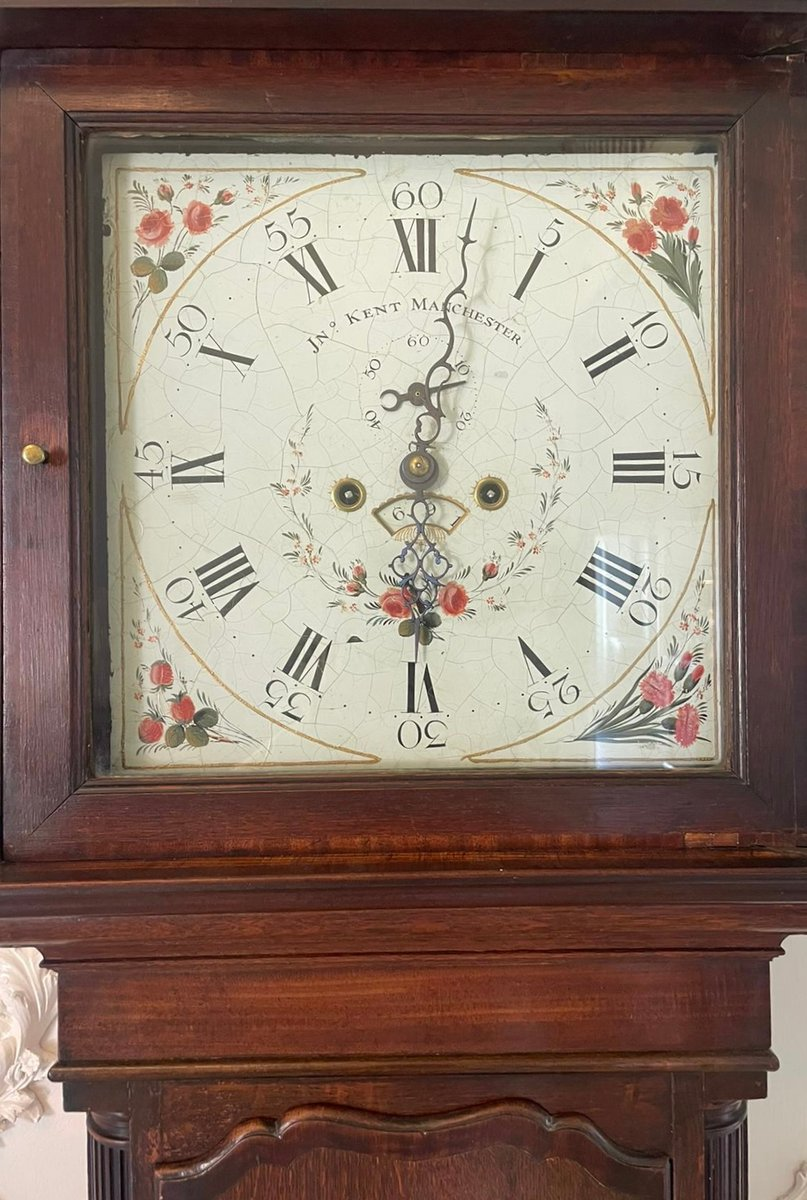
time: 6:01
